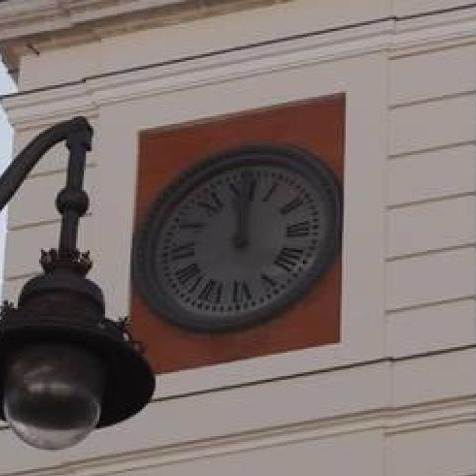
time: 12:01
